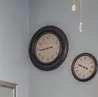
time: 8:43
